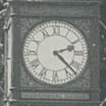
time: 2:22
